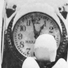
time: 12:58
